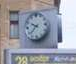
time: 9:38
